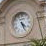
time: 4:26
